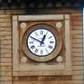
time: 12:49
